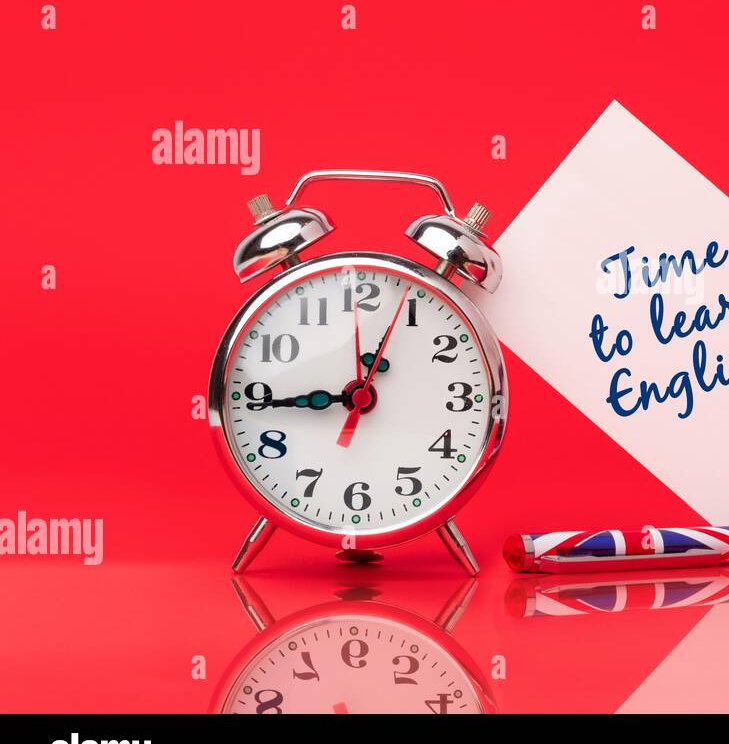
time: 12:44
